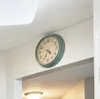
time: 4:34
